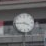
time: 3:44
